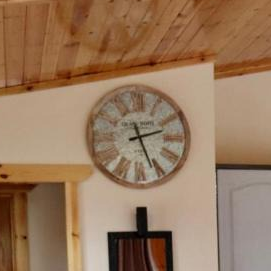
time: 2:26
